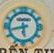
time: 5:42
